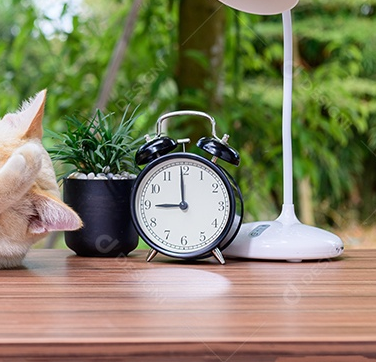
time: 8:59
